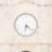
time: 6:21
